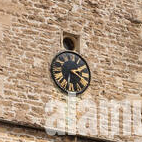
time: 2:18
